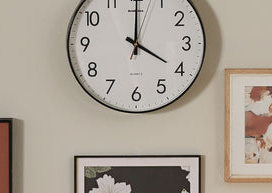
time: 4:00
